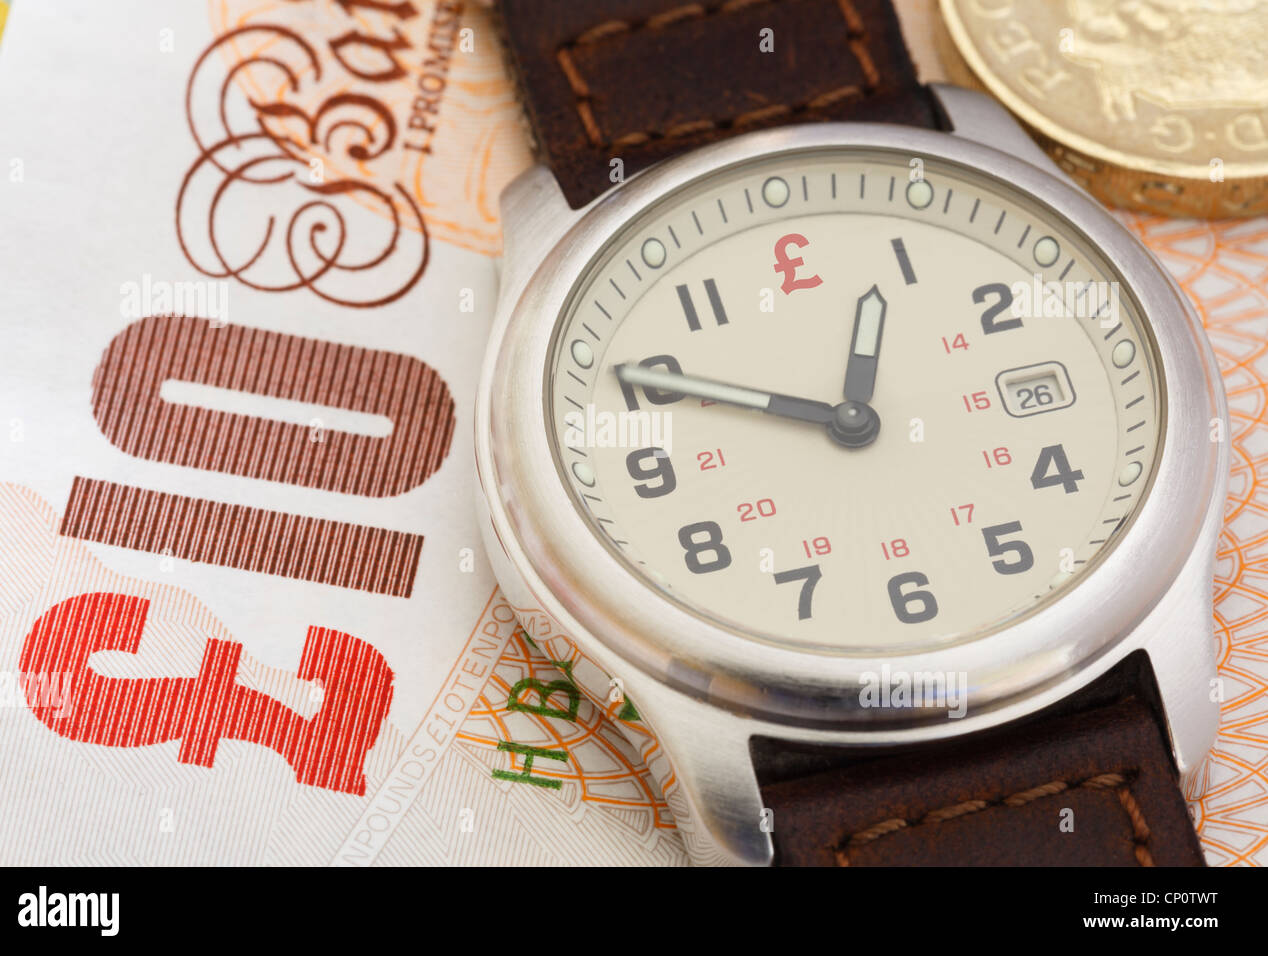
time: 12:49
